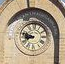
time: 8:47
